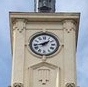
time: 1:43
